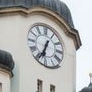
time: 6:34
